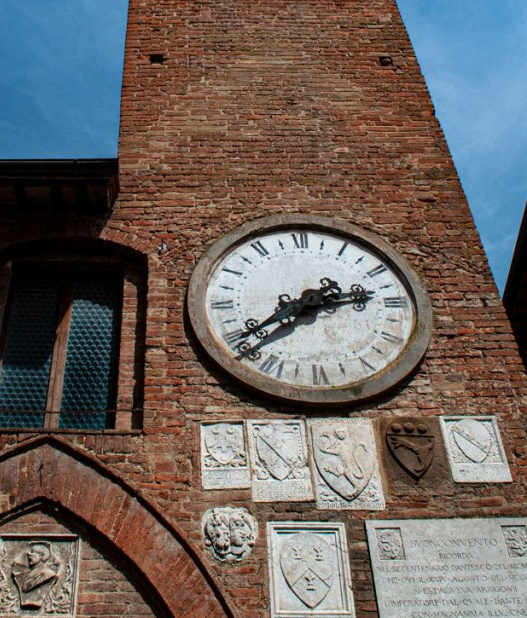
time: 2:39
